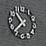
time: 10:37
